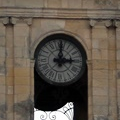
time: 3:00
